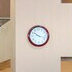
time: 10:17
